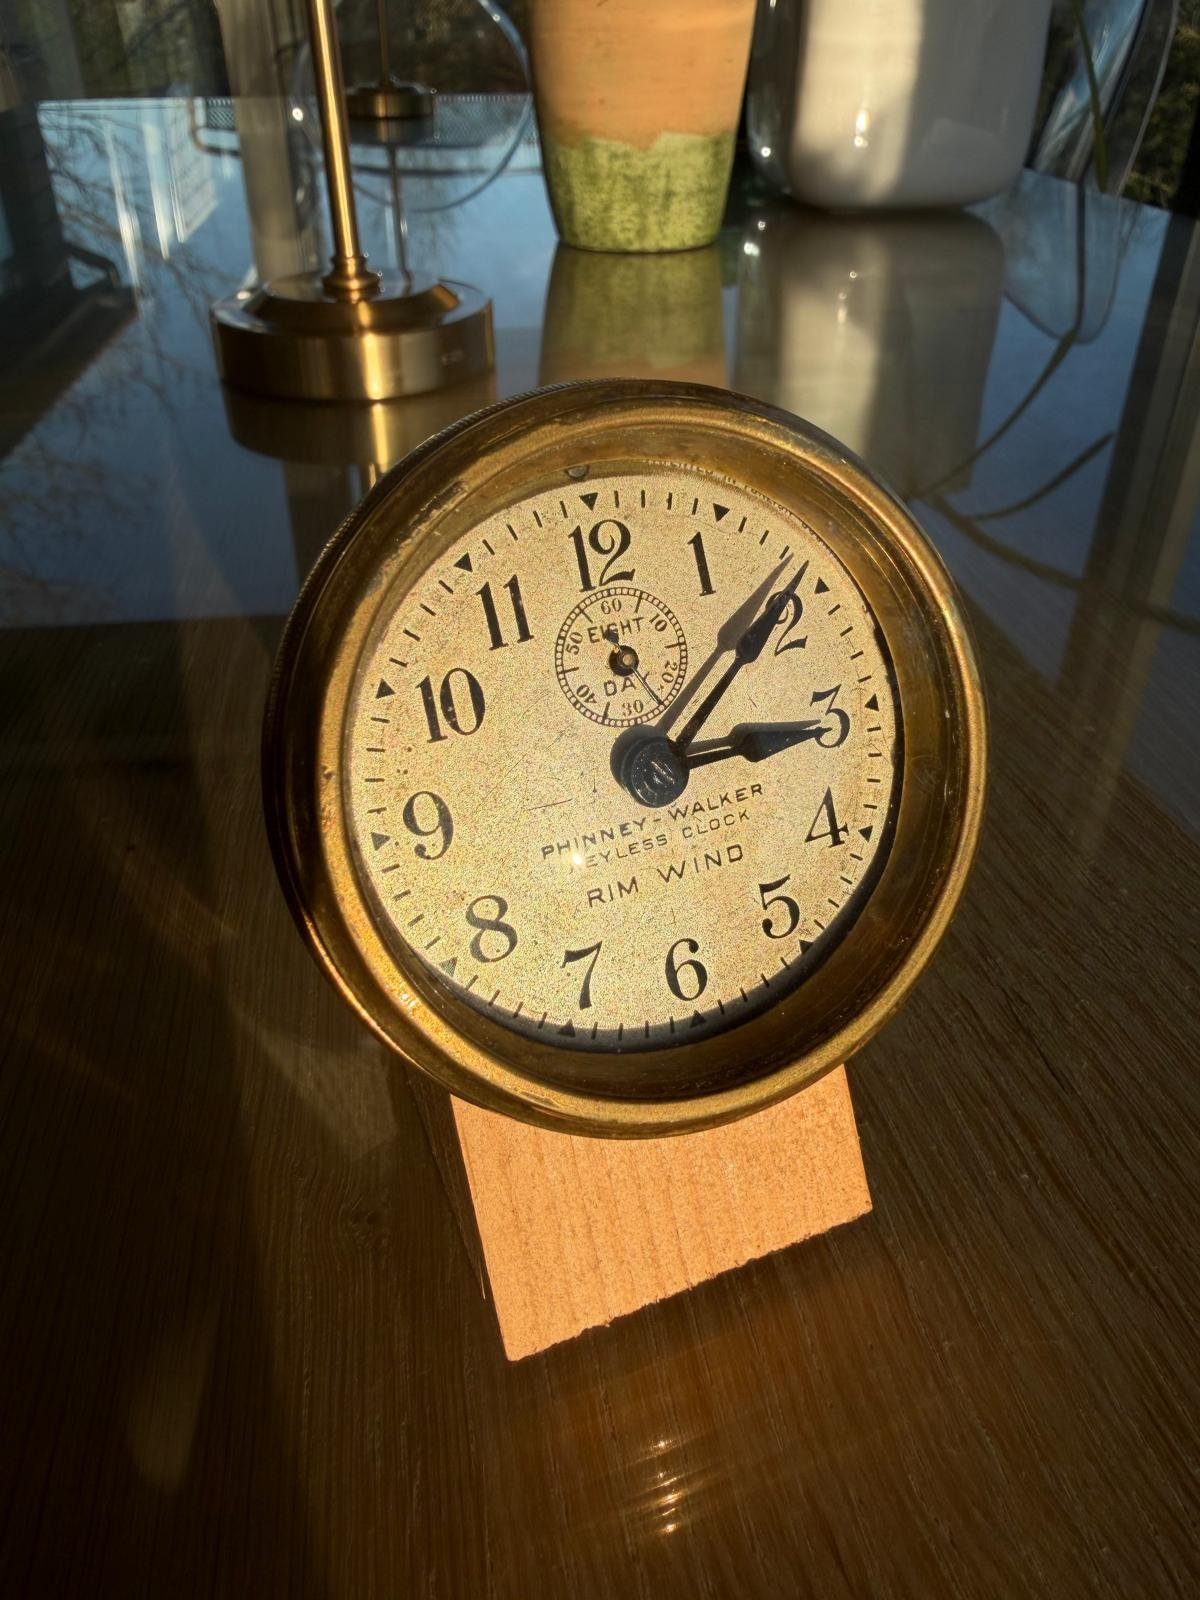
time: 3:08
